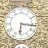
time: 6:16
